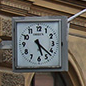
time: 5:22
